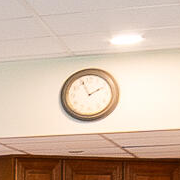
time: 1:56
